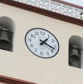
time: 1:18
